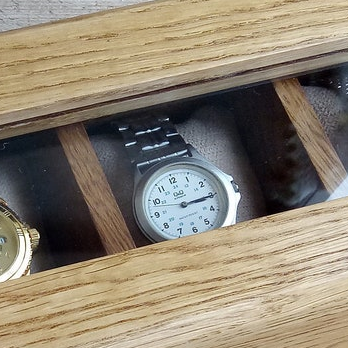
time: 3:15
